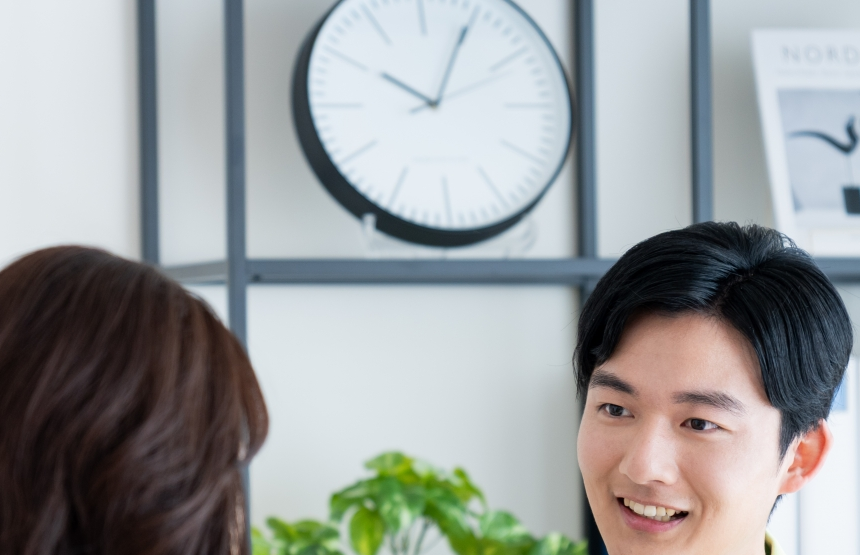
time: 10:04
